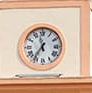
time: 11:35
